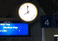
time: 7:59
